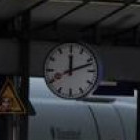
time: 12:11
